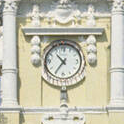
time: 10:35
